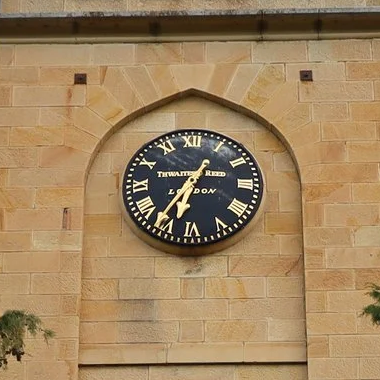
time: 6:36
